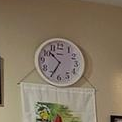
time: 10:34
